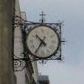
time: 10:35
